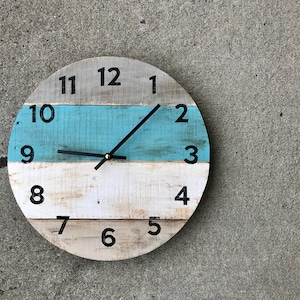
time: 9:07
